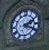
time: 2:18
